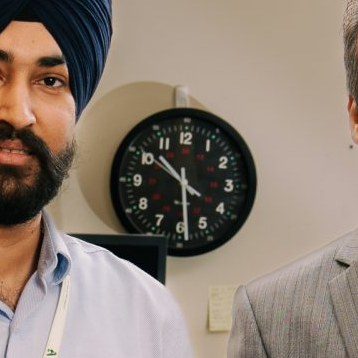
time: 10:28
